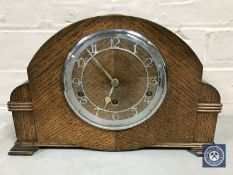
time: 6:53
